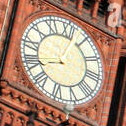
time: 8:02
